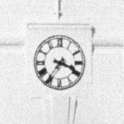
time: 3:36
